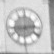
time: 2:43
